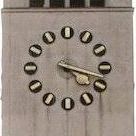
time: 4:18
